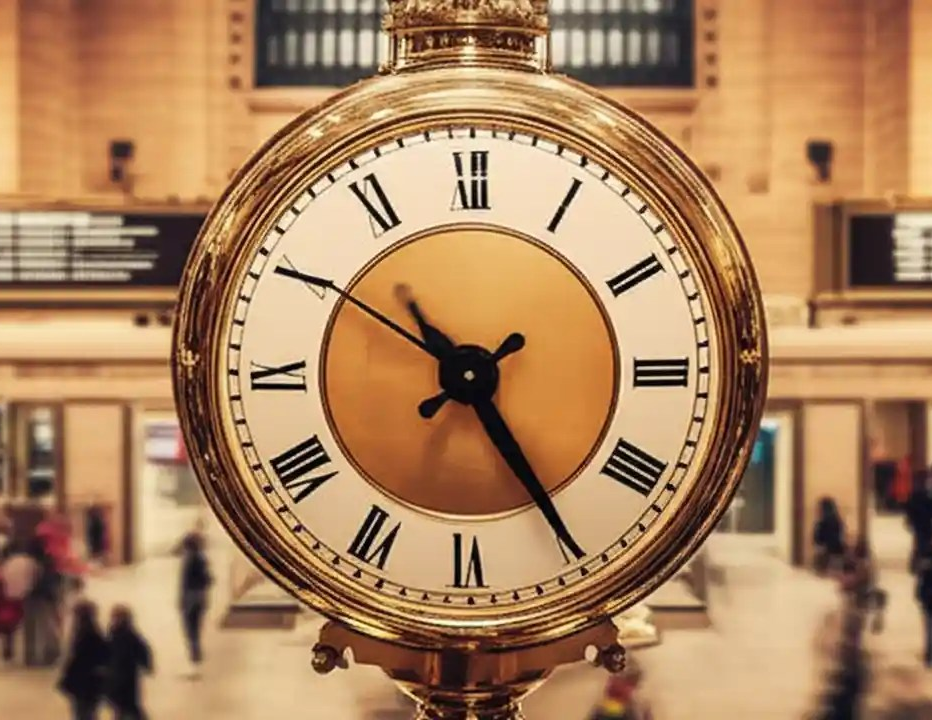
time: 10:24
